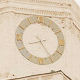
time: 8:24
